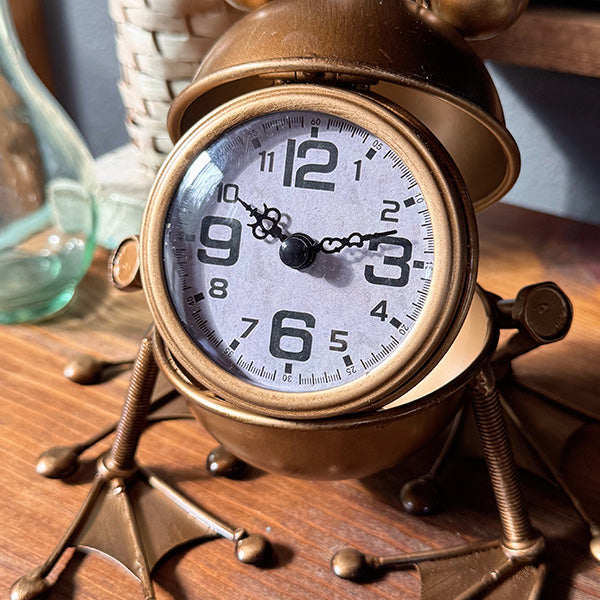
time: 10:12
